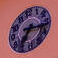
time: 7:15
